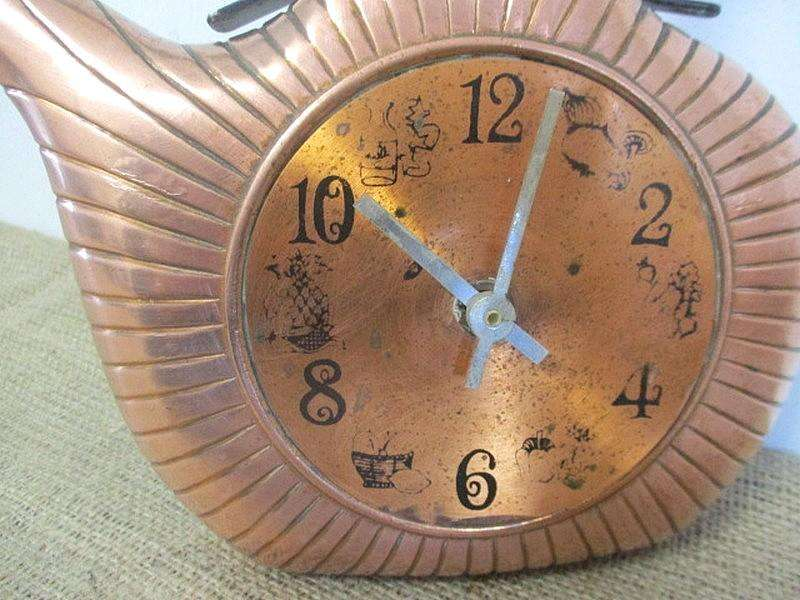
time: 10:02
